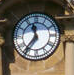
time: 11:36
